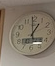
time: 12:59
